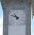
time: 10:48
